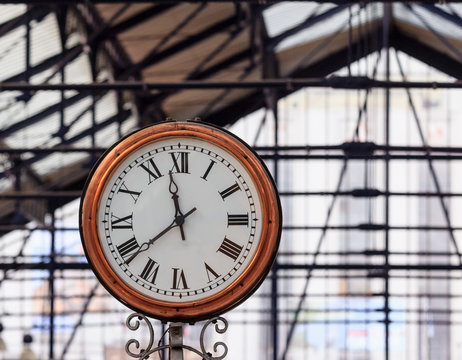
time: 11:38
